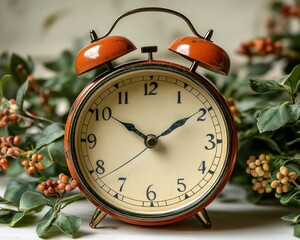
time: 1:50
